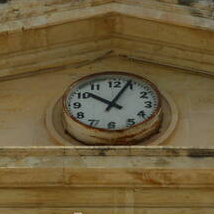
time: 10:04
